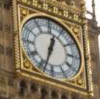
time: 12:33
